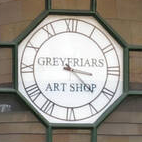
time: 3:22
